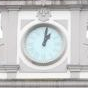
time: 1:01
